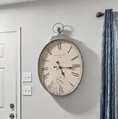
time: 5:15
